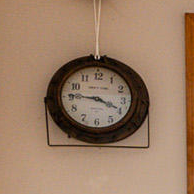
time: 3:45
